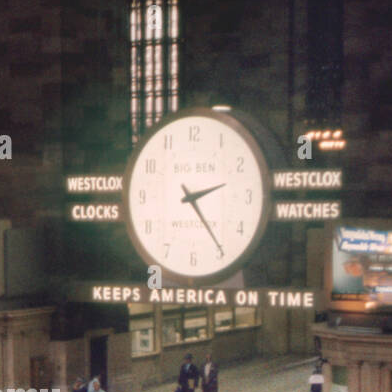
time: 2:23
